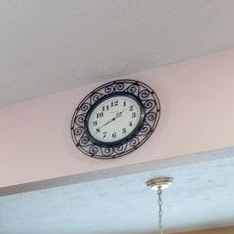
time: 1:40
